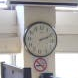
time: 2:11
